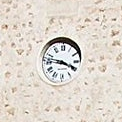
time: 3:46
